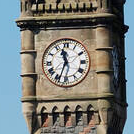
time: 11:33
